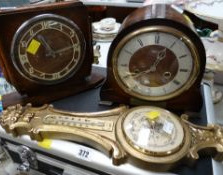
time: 12:41
